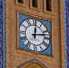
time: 12:12
